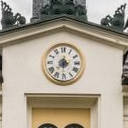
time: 7:30
